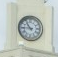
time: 10:45
